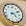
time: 4:10
